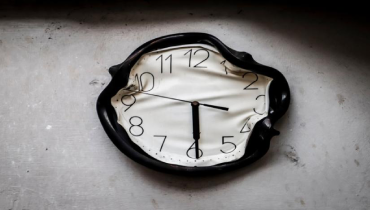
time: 3:29
